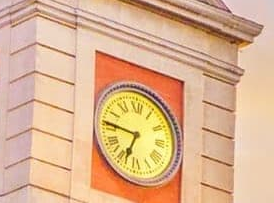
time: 6:45
